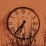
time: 6:36
